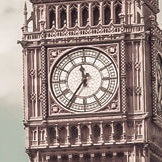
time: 11:35
